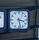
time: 3:28
